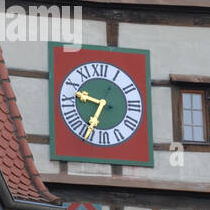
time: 9:34
